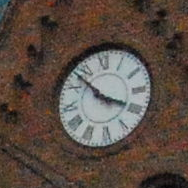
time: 3:52
